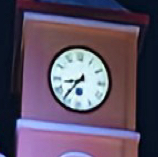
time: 8:36
